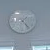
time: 1:23
